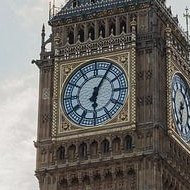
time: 6:05
